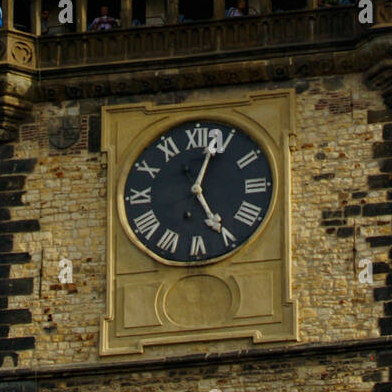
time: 5:03
